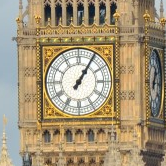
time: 1:05
